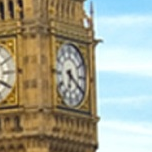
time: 6:20
